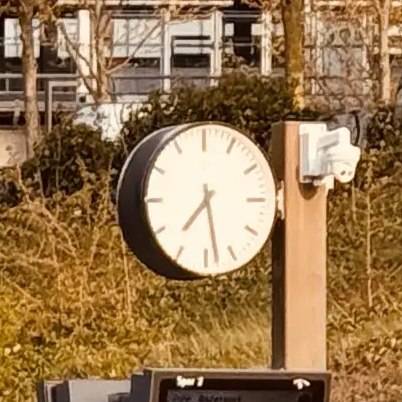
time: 7:28
